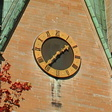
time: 1:36
